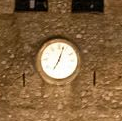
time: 7:03
